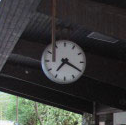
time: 7:19
